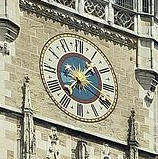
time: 1:36
